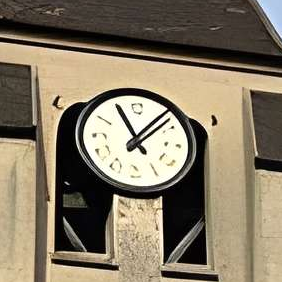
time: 11:07
